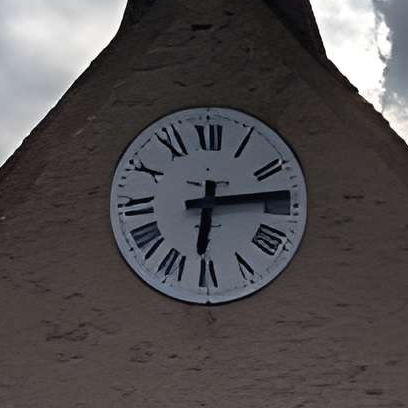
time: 6:13
